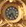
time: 7:25
